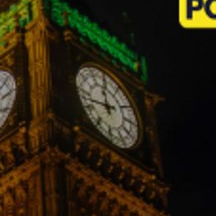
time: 11:42
